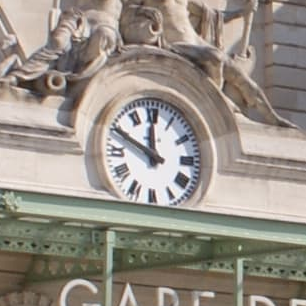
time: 11:49
